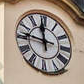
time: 11:46
